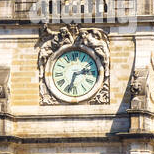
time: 2:33
